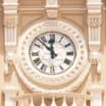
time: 11:52
